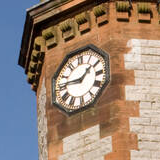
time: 1:46
